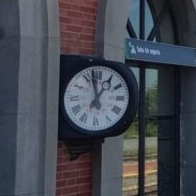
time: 12:57
